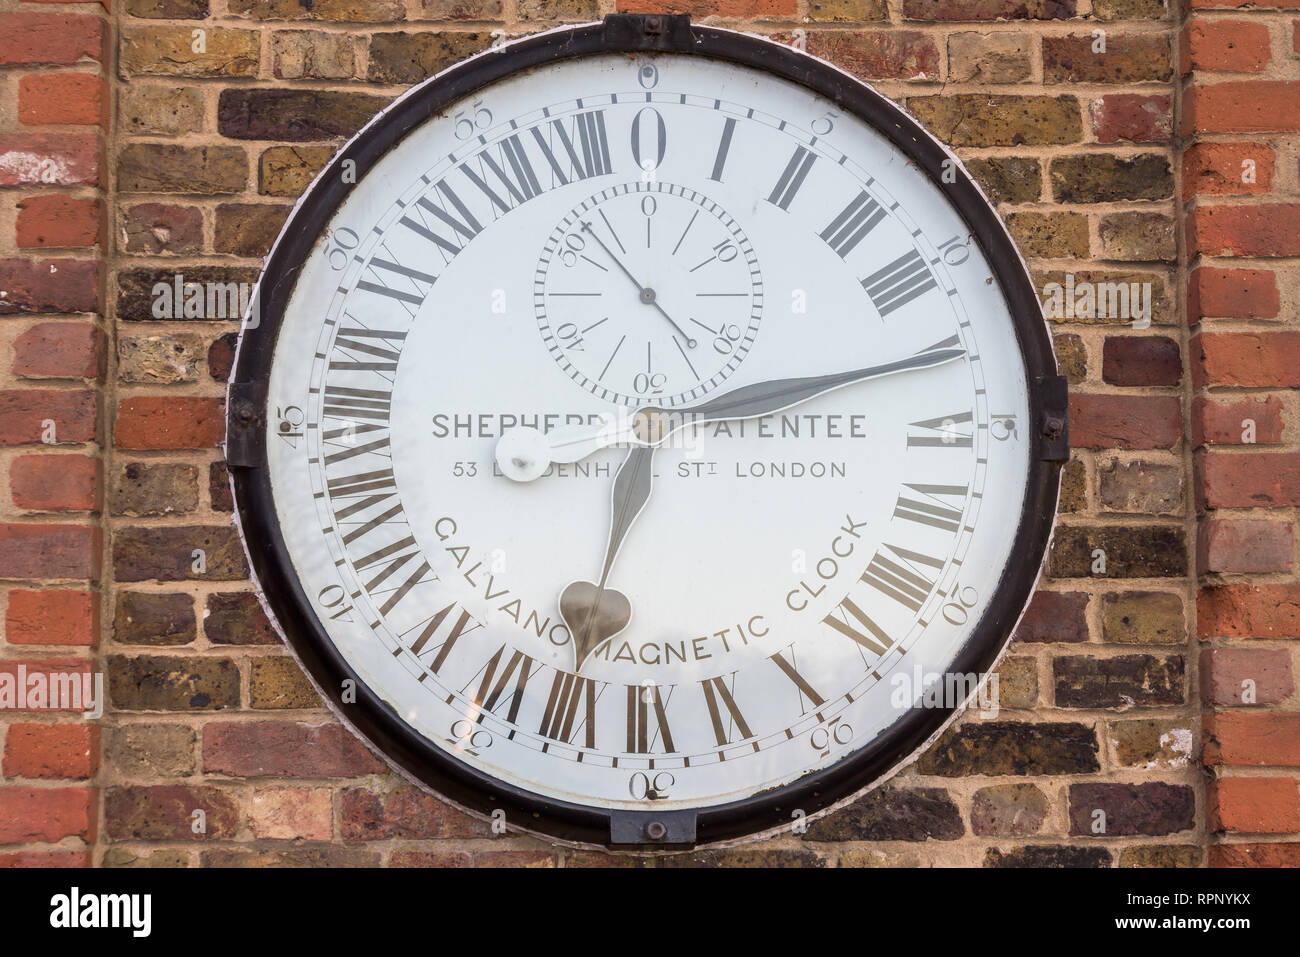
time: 11:32
